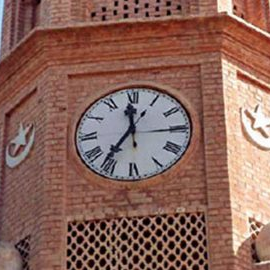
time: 11:36
